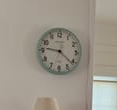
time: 9:21
